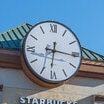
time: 6:15
